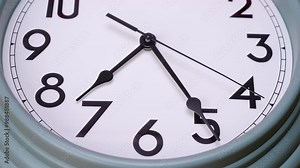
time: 7:24
